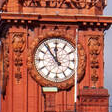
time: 11:53
